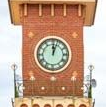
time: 12:03
